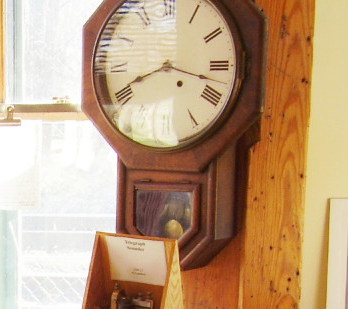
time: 8:17
